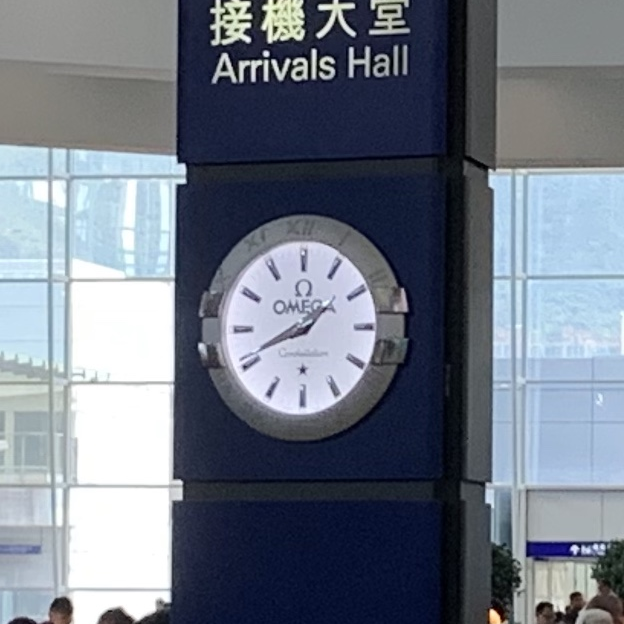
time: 1:41
